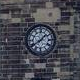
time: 1:39
